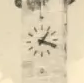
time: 1:18
